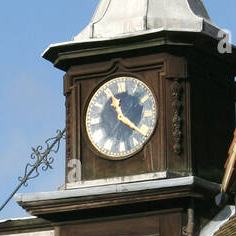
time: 11:21
